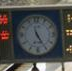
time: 11:25
